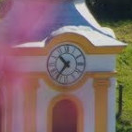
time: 10:36
